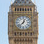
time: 12:37
